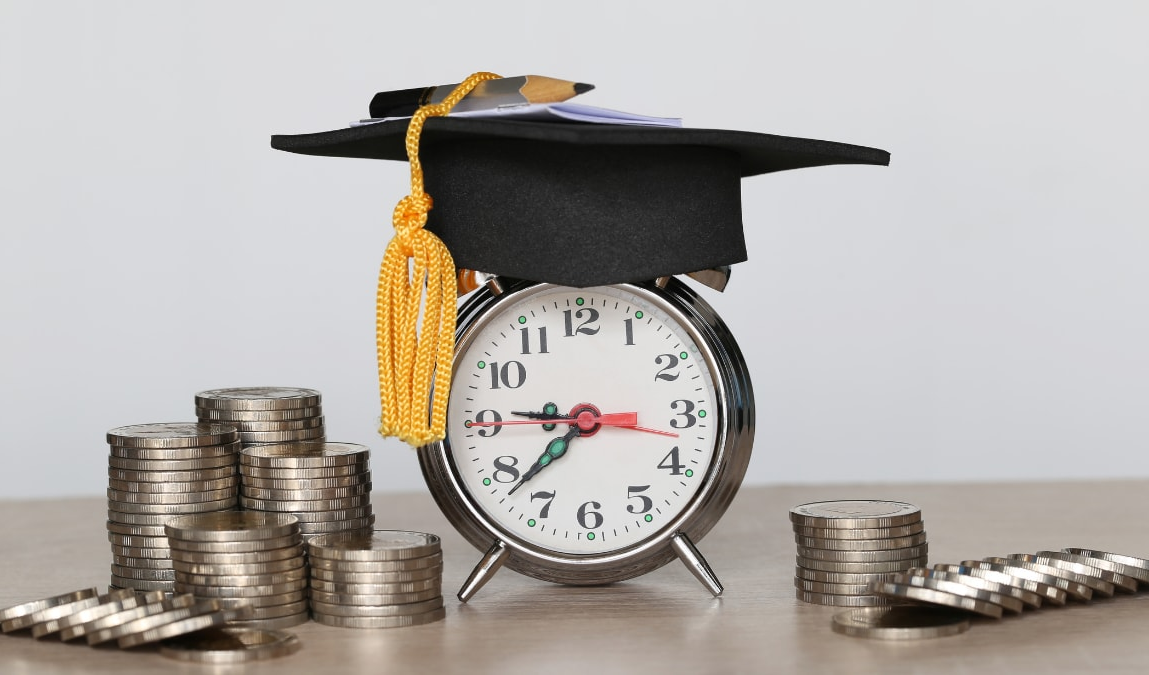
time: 7:45
